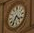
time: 4:35
